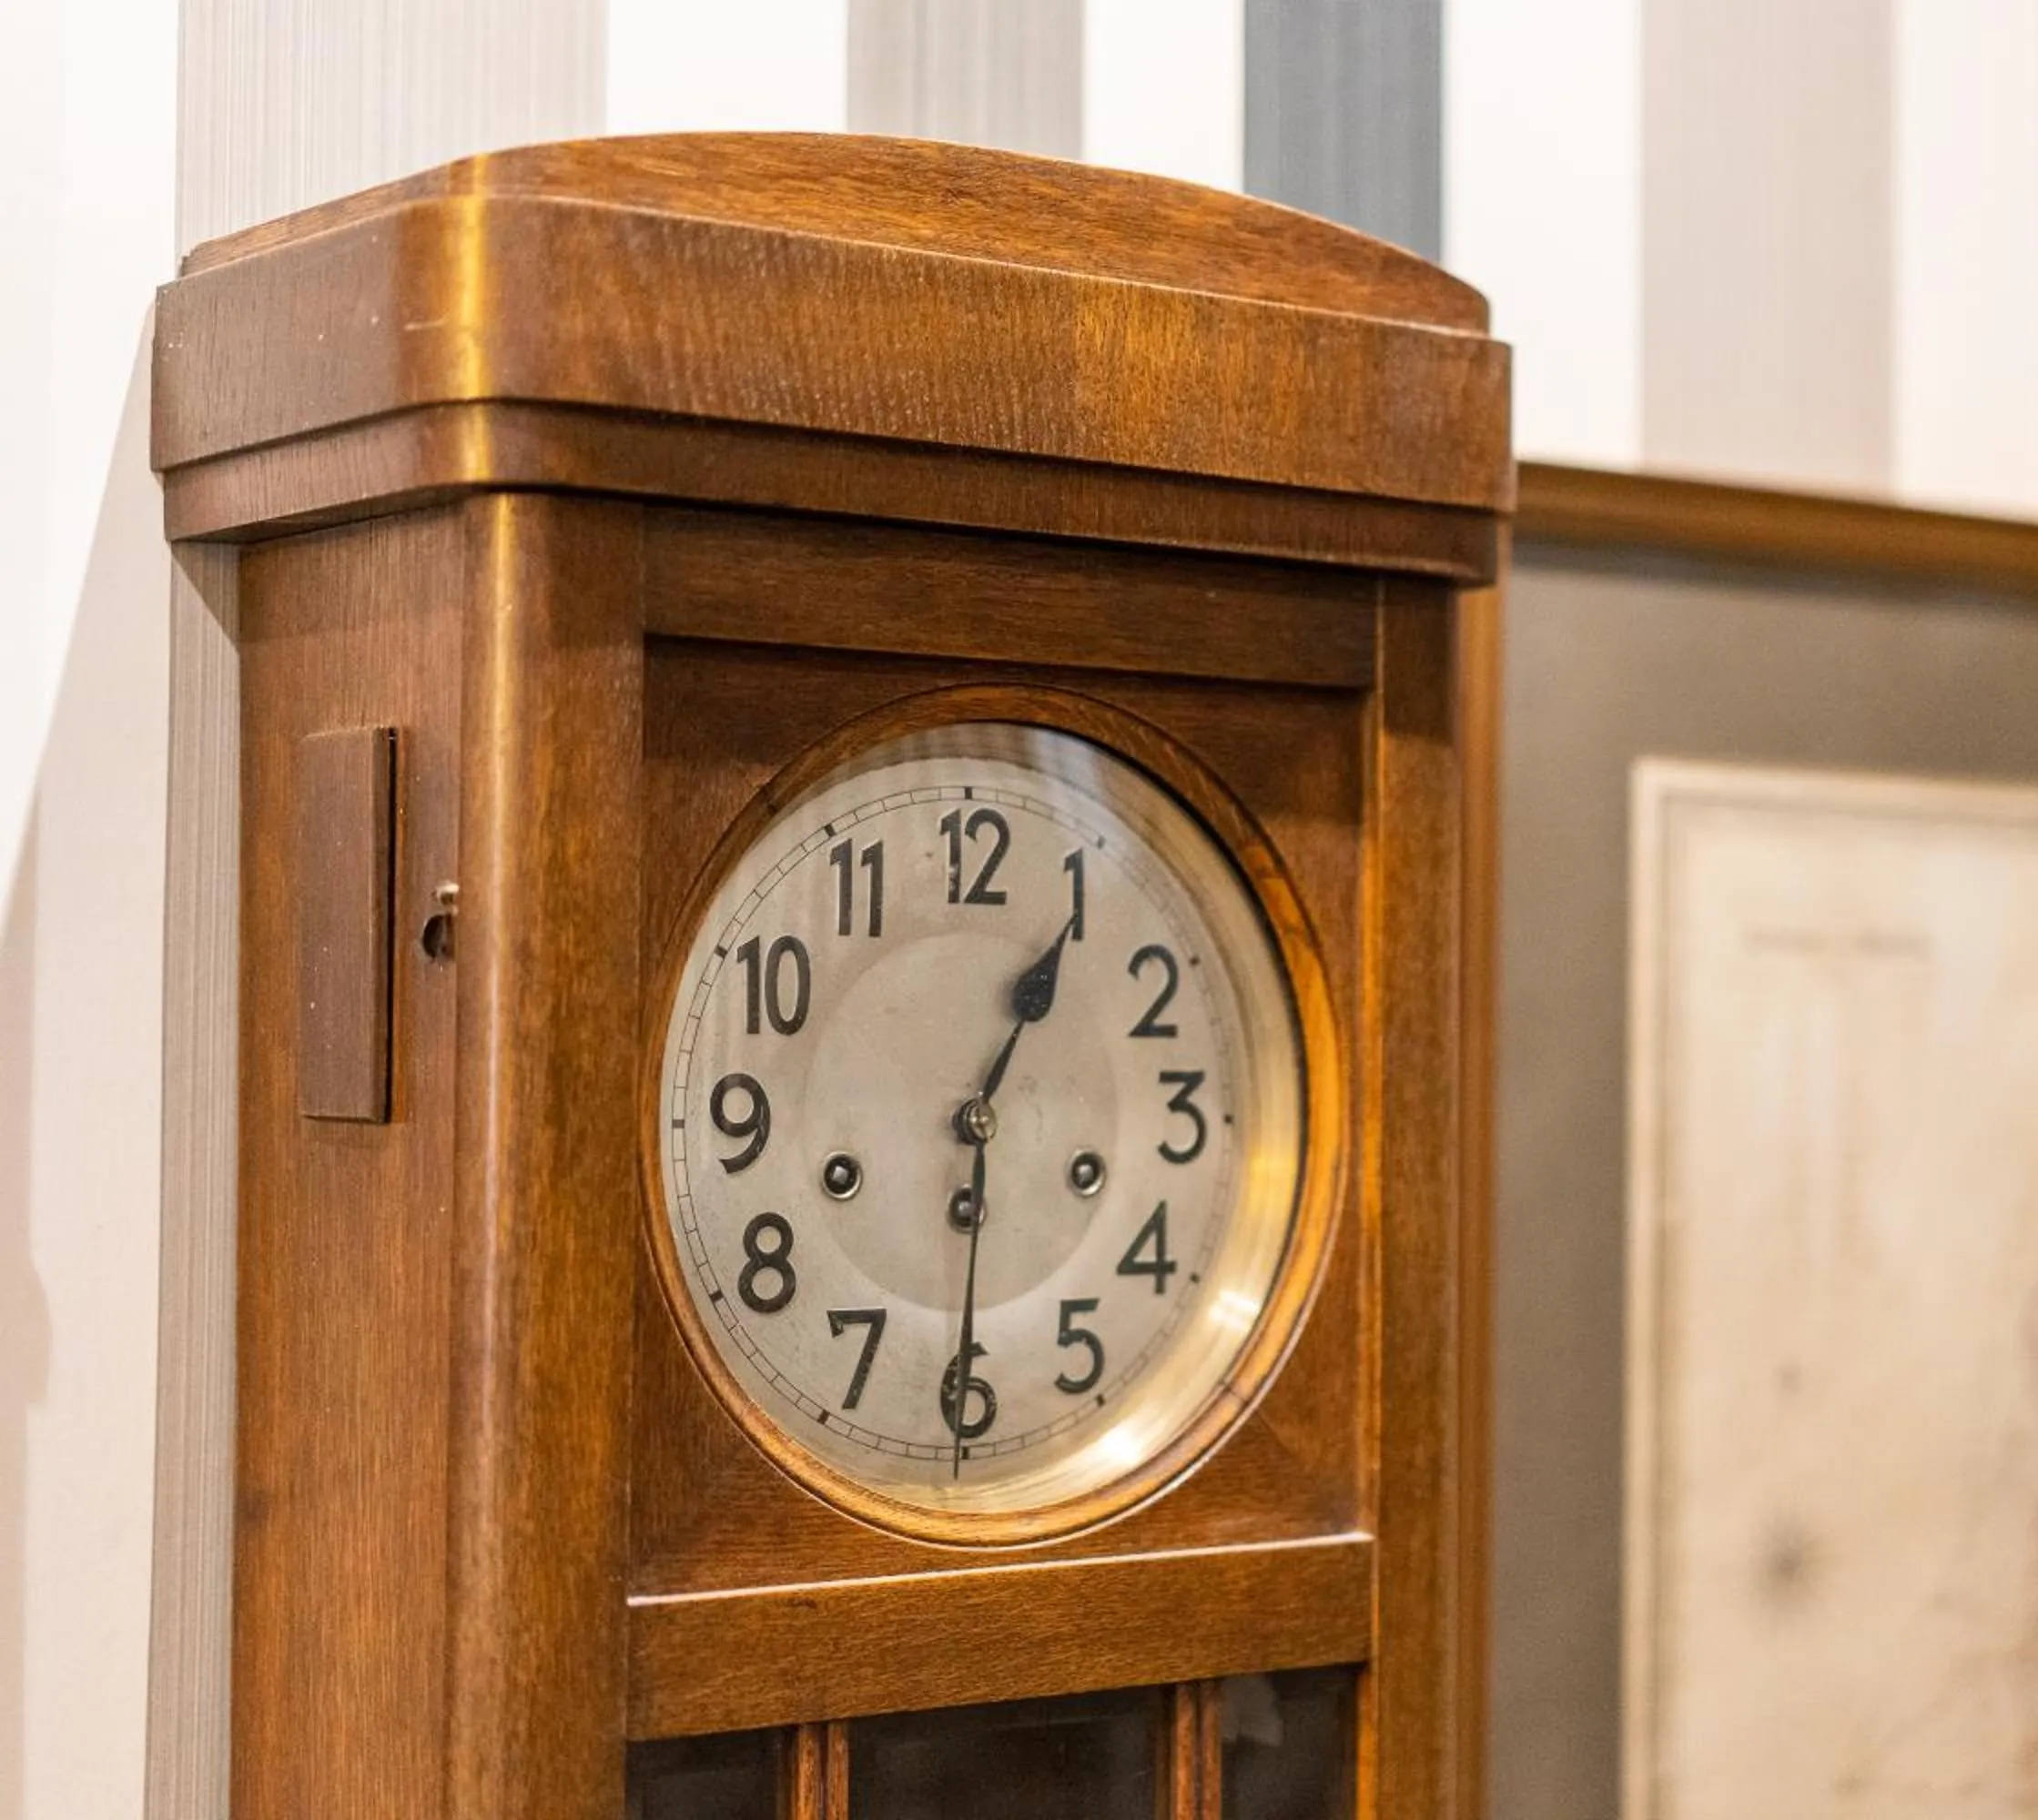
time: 1:05
